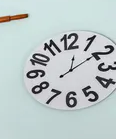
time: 12:09
